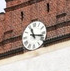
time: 11:17
